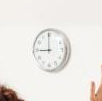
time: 8:59
